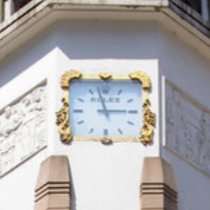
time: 2:58
